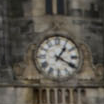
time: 1:20
